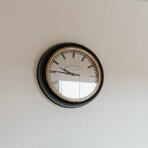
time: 9:45
